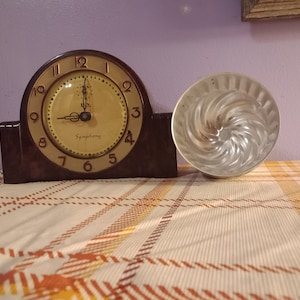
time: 9:00
